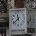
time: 11:38
